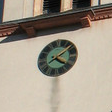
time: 4:08
